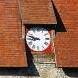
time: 8:47
